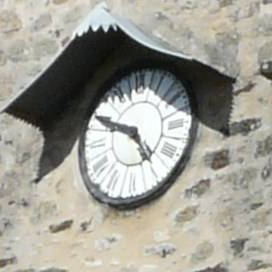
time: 4:49
